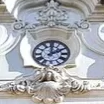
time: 2:00
